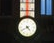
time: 4:40
